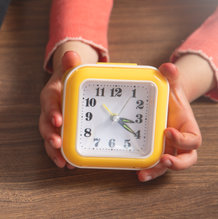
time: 3:20
